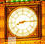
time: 8:14
